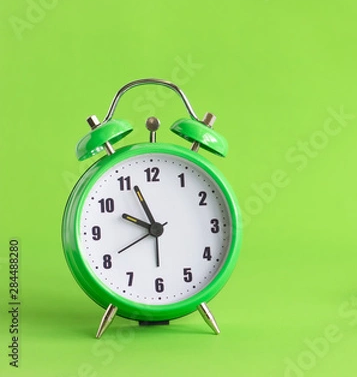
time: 9:56
